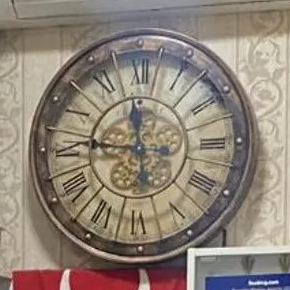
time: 11:46
